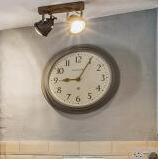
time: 9:05
